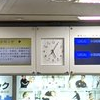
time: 5:05
